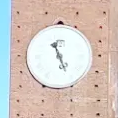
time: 5:26
